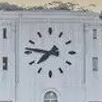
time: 7:46
